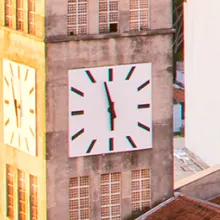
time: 5:57
